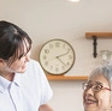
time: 2:22
